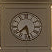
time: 7:28
